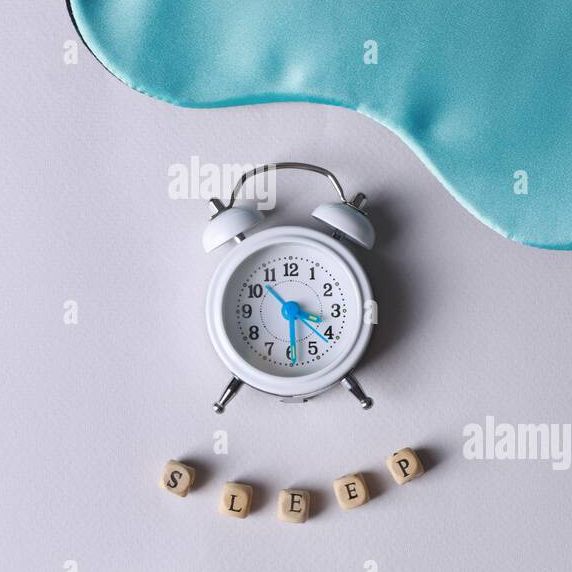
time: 3:29
